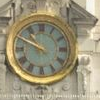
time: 10:49
